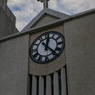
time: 12:22
